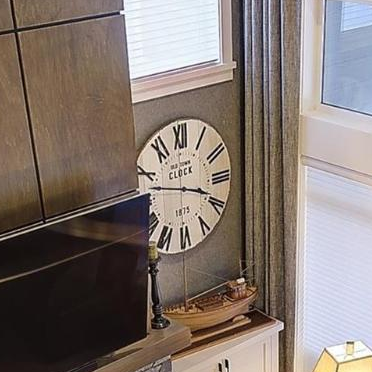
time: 3:47
